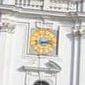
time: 3:12
